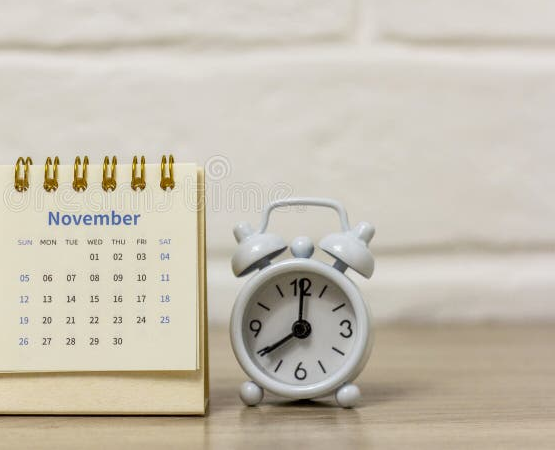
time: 8:00
